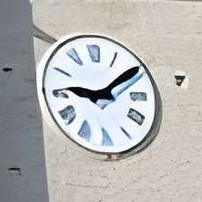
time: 9:09
